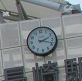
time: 2:18
